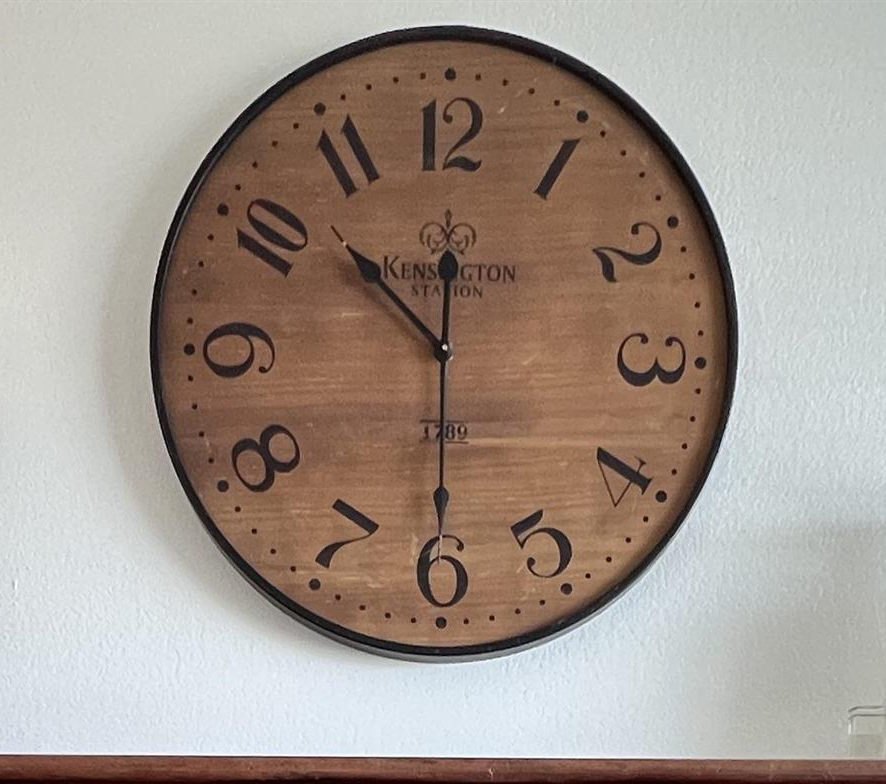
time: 10:30
